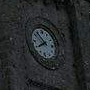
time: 7:52
